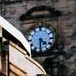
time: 4:31
